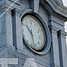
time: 10:28
